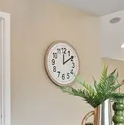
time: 12:09
